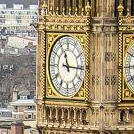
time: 11:15
